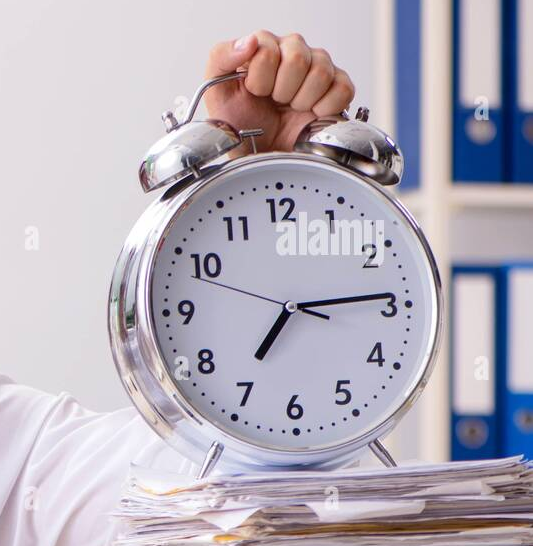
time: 7:14
